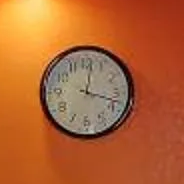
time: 12:17
